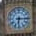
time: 6:15
